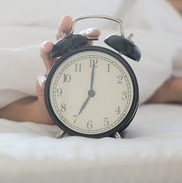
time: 7:00
